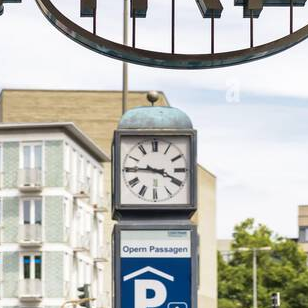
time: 3:45
